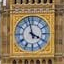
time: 3:58
